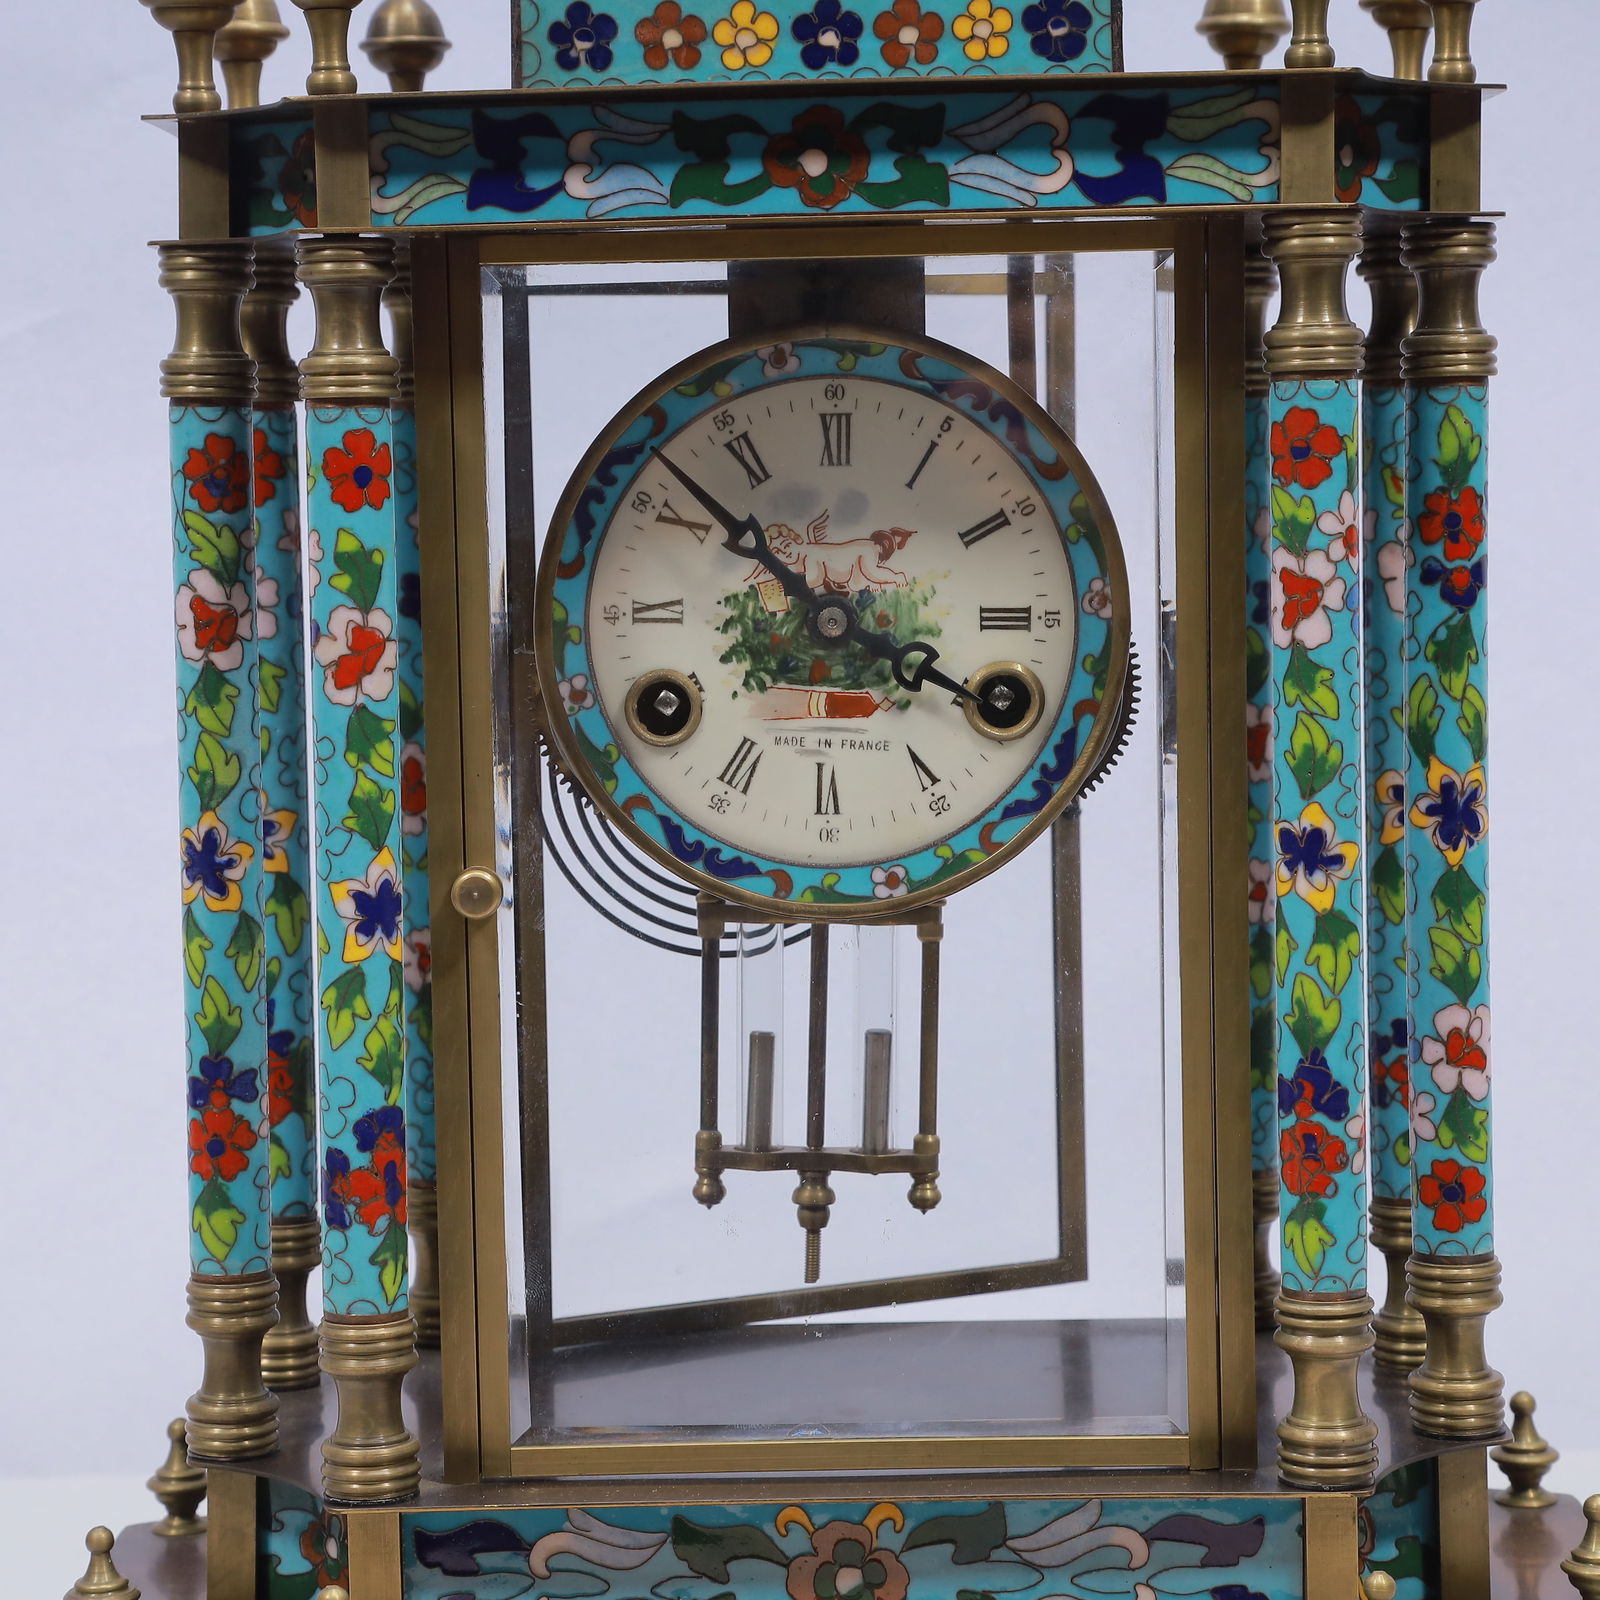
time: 3:52
